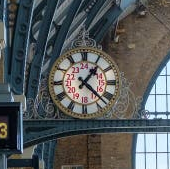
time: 1:22
